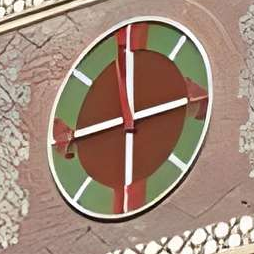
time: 8:12
